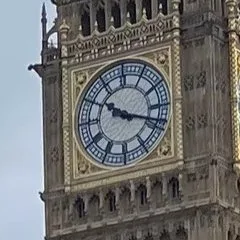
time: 10:18
